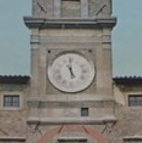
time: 4:59
